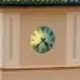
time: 4:37
